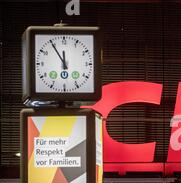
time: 11:54
